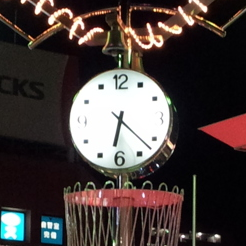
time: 6:22
